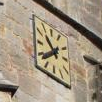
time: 10:38
